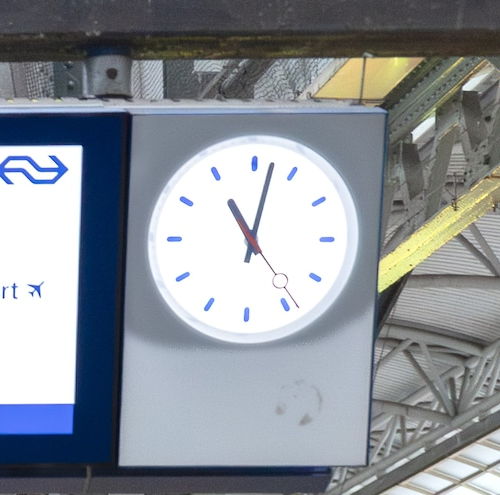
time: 11:02
